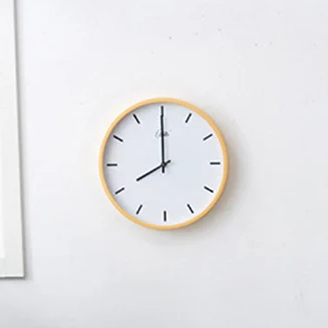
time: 8:00
